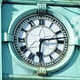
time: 6:13
